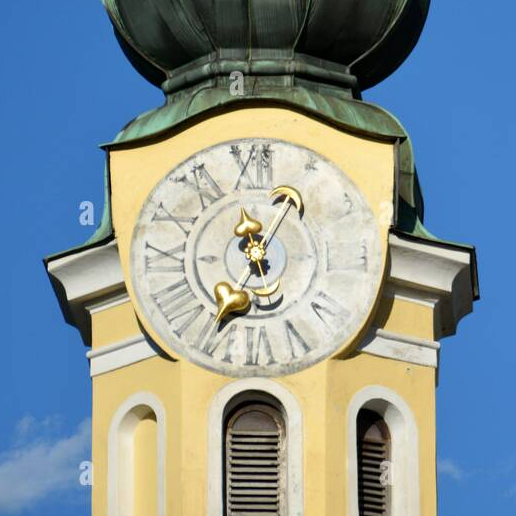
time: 11:35
